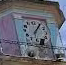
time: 6:05
